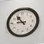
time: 8:53
